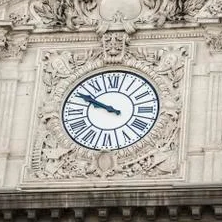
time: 9:50
